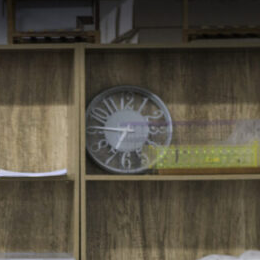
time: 6:46
